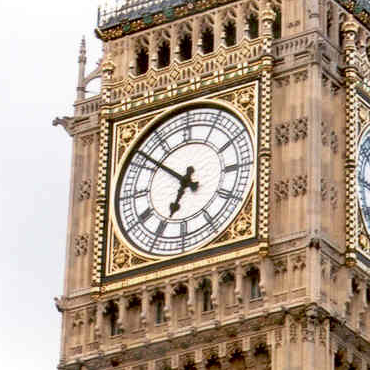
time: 6:51
